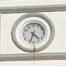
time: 4:33
